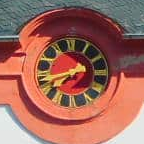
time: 7:41
